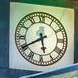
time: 5:40
